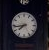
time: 7:43
